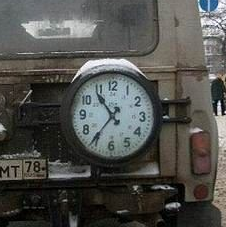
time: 10:36
